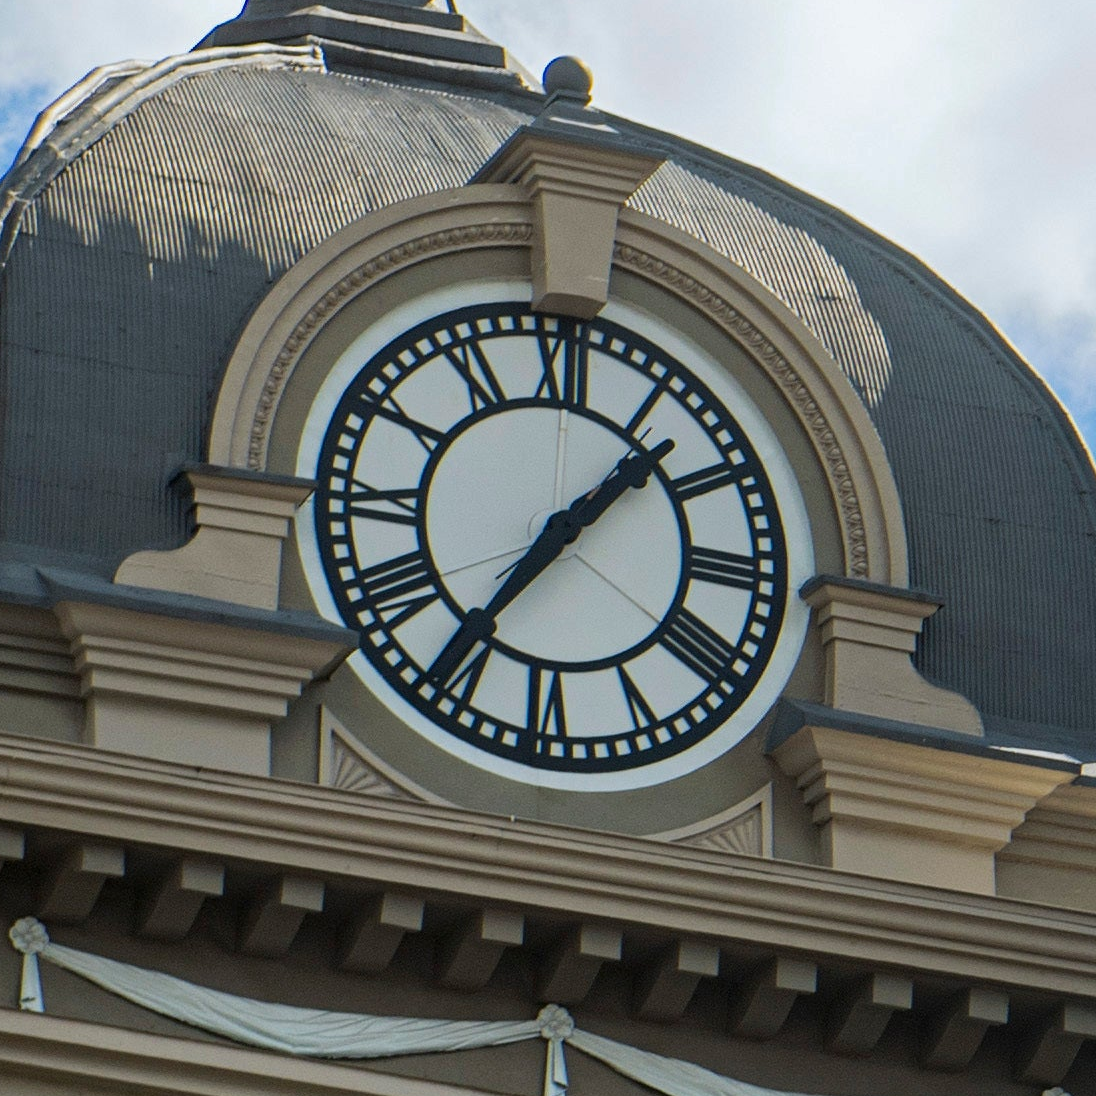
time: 1:35
